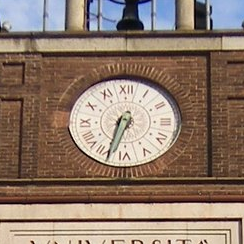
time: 6:32
